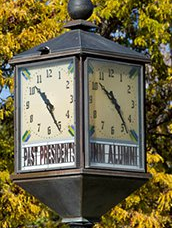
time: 10:23
